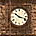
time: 10:18
